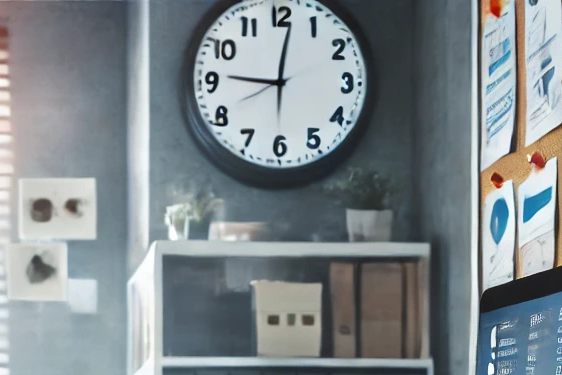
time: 9:01
